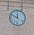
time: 11:49
